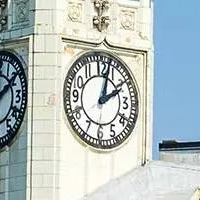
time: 2:02
